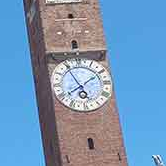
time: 1:55
